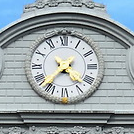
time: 4:37
